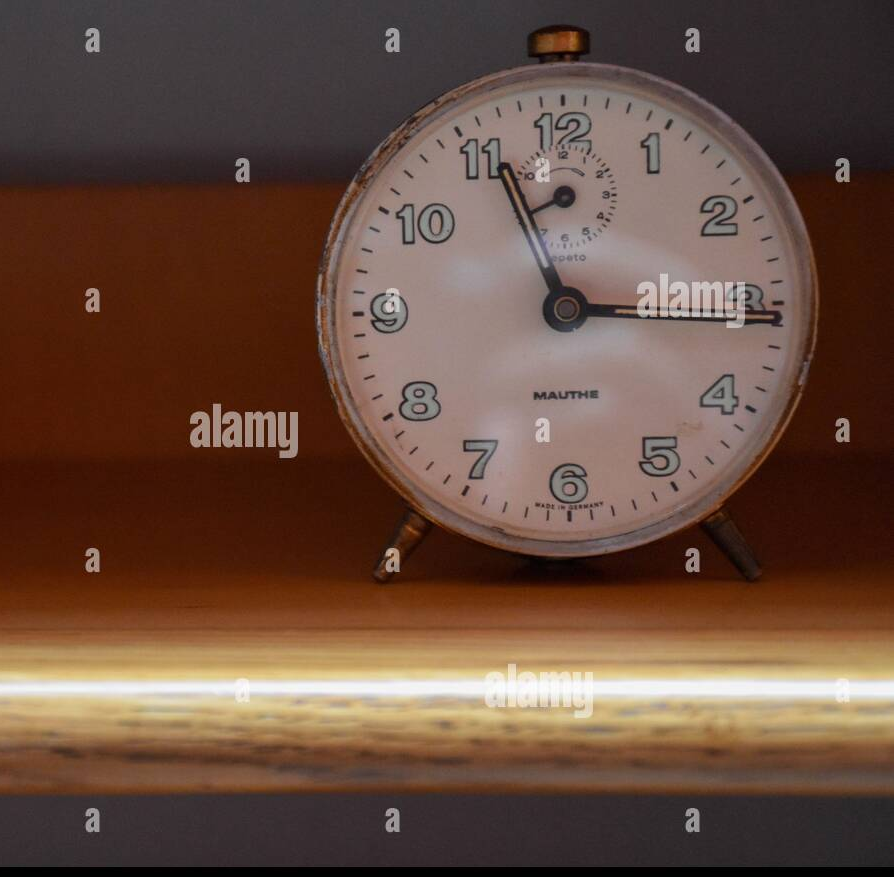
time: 11:15
